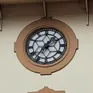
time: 1:36
